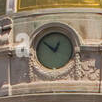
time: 12:52
